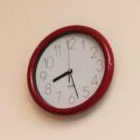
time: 8:27
